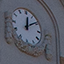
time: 12:09
